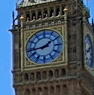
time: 1:43
